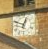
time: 12:49
